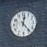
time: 12:23
